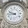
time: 9:43
